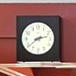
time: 2:38
